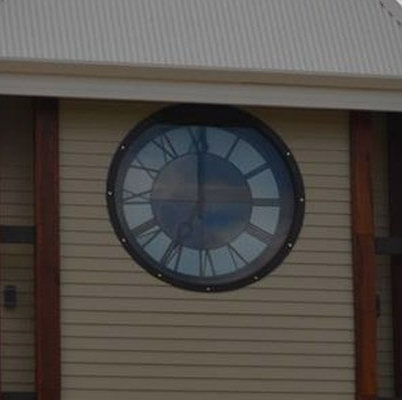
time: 7:00
